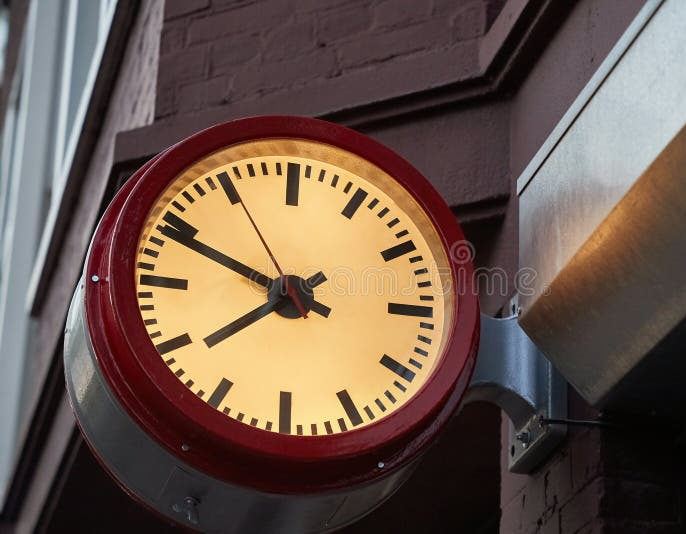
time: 7:48
